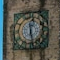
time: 12:28
